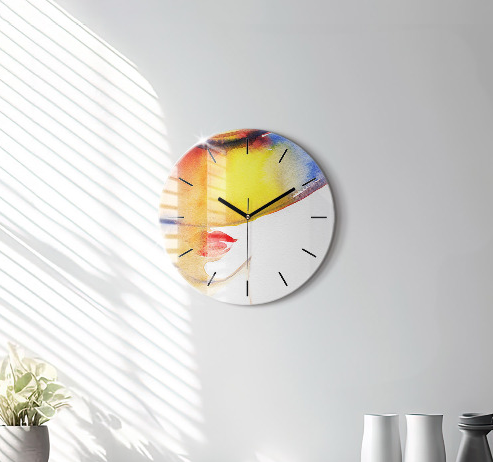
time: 10:10
